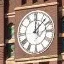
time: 12:07
